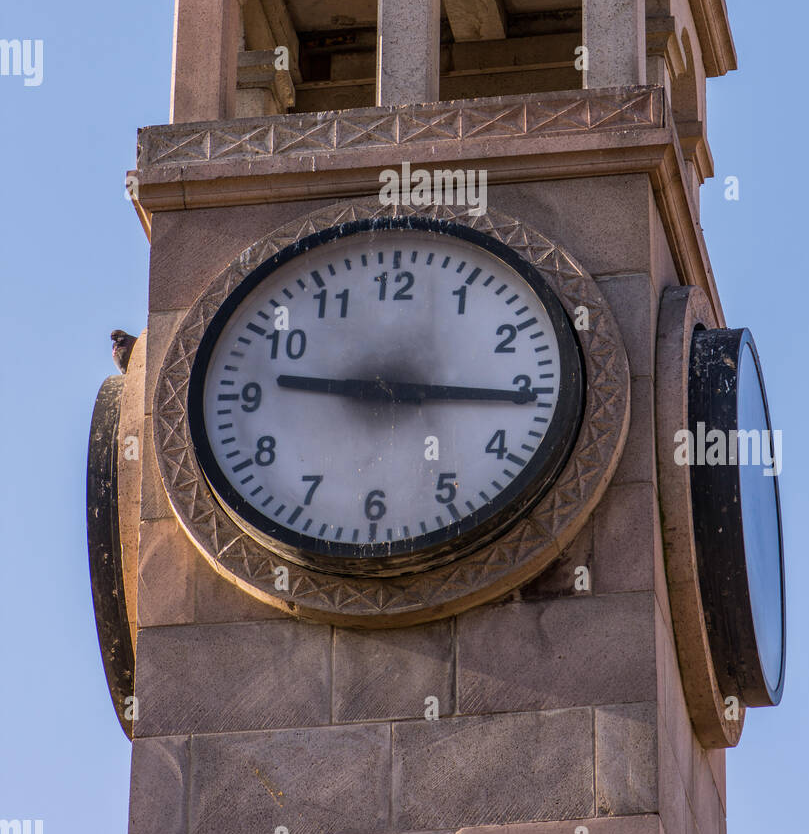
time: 9:15
